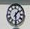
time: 1:29
